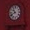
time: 10:41
